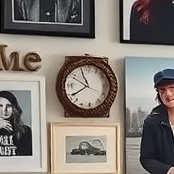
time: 7:55
